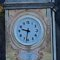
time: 9:32
